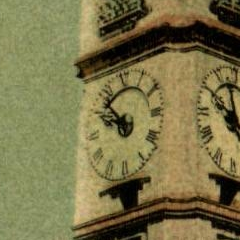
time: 9:53
